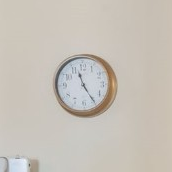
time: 11:24
